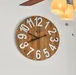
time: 9:40
